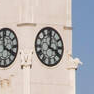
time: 4:01
